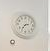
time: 2:36
